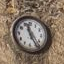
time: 11:24
